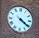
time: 4:20
